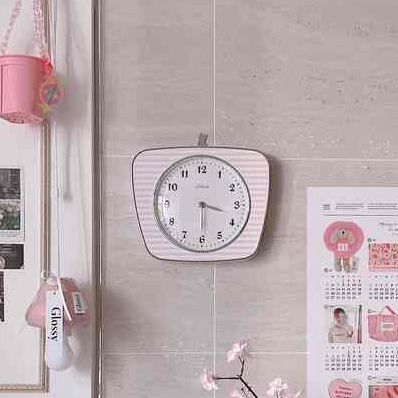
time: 3:30
